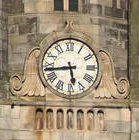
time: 5:43
